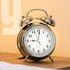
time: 9:01
